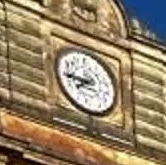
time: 7:44
